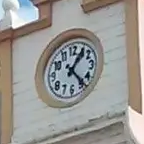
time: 1:23
